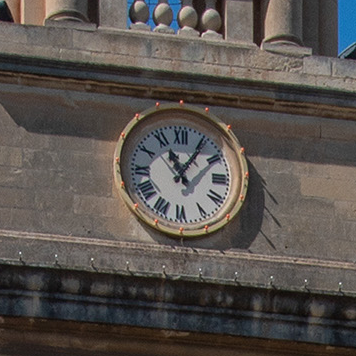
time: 11:05
